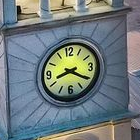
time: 8:20
